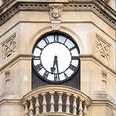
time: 6:28
